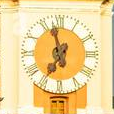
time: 11:35
